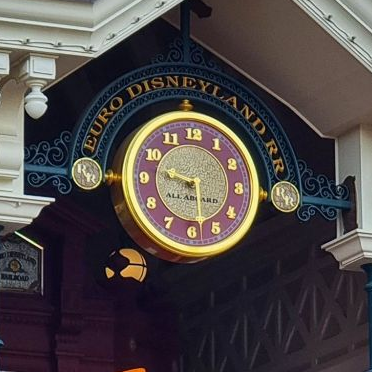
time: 9:28
